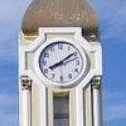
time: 8:09
